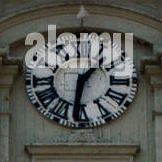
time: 1:32
